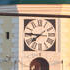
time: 7:46
